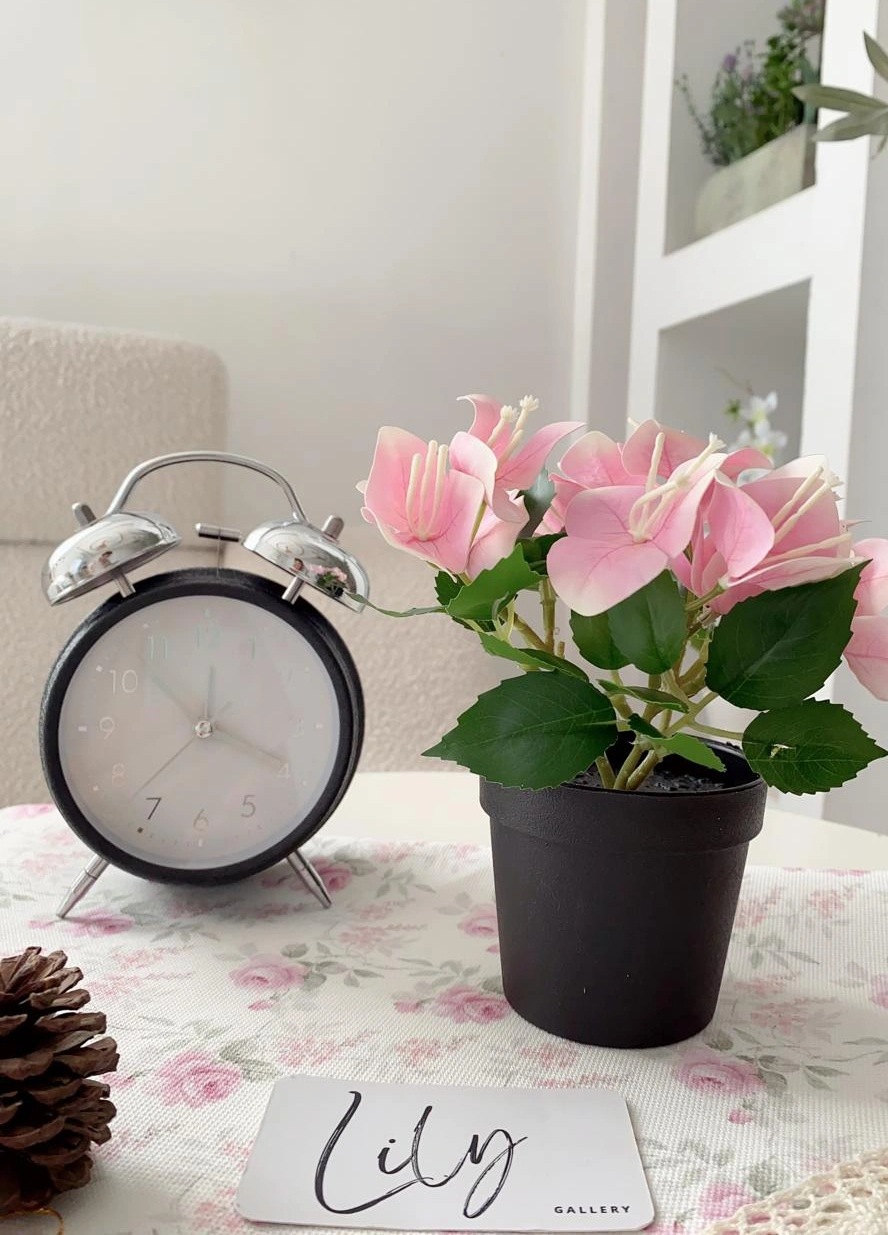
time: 3:52
